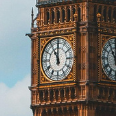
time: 11:00
